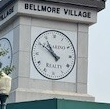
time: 10:50
